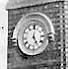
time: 5:01
